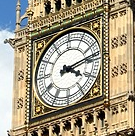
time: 4:13
